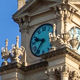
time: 9:36
